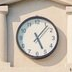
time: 5:06
